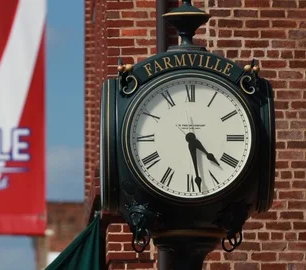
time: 4:28
